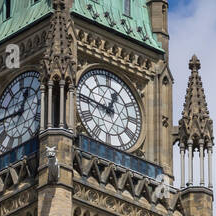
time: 12:46
